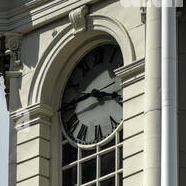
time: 3:44
